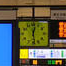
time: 12:28
